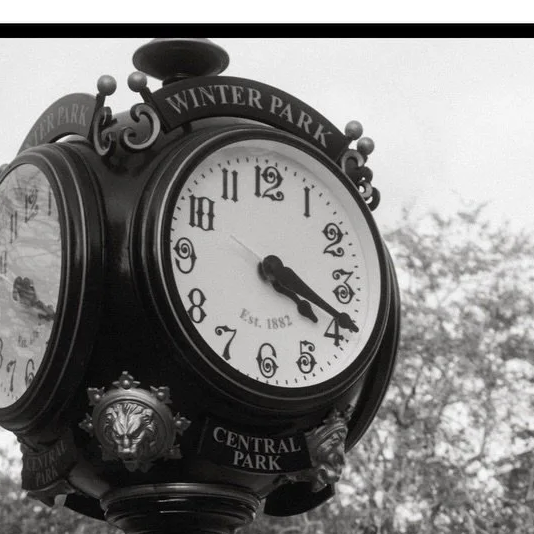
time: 4:18
